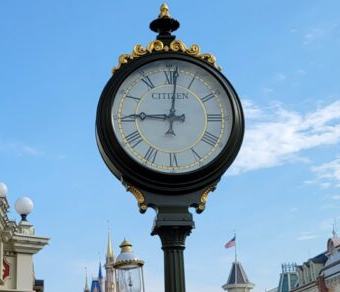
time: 9:01
